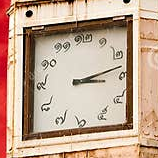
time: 3:13
